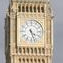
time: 4:26
